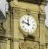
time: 11:47
